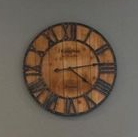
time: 4:13
